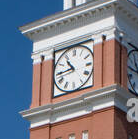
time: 10:44
